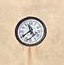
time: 11:39
